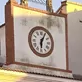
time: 6:04
